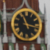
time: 11:17
